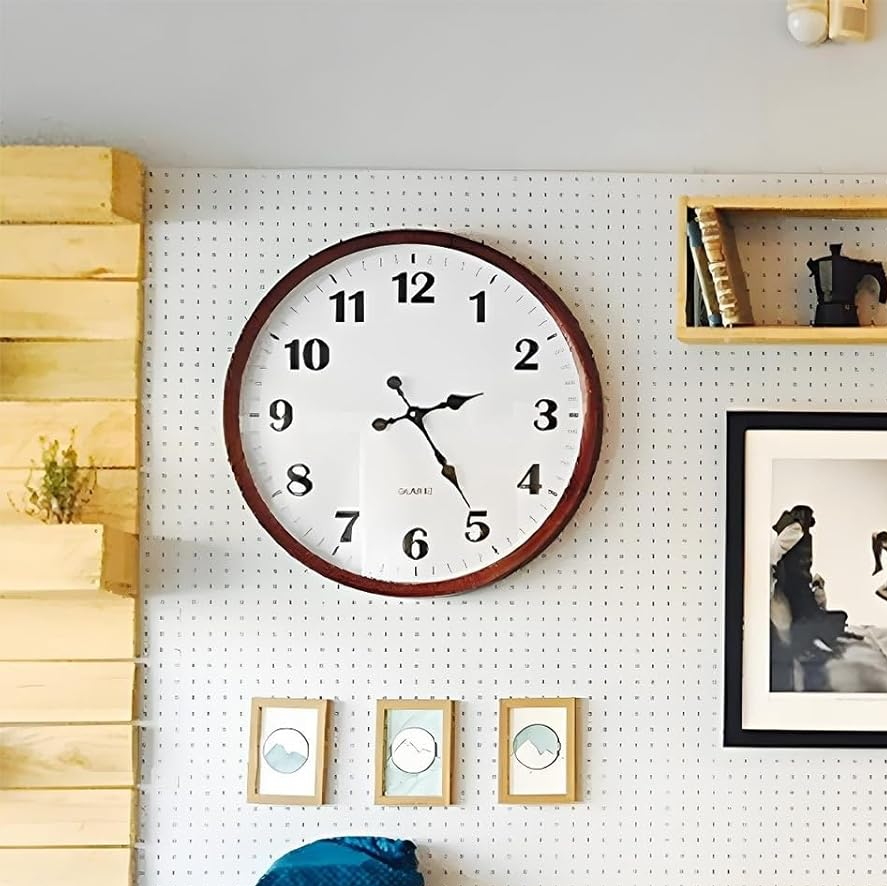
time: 2:24
